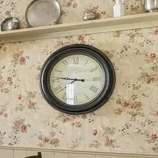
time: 8:46
